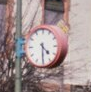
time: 4:29
